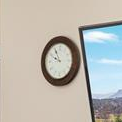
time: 9:55
